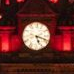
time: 5:18
